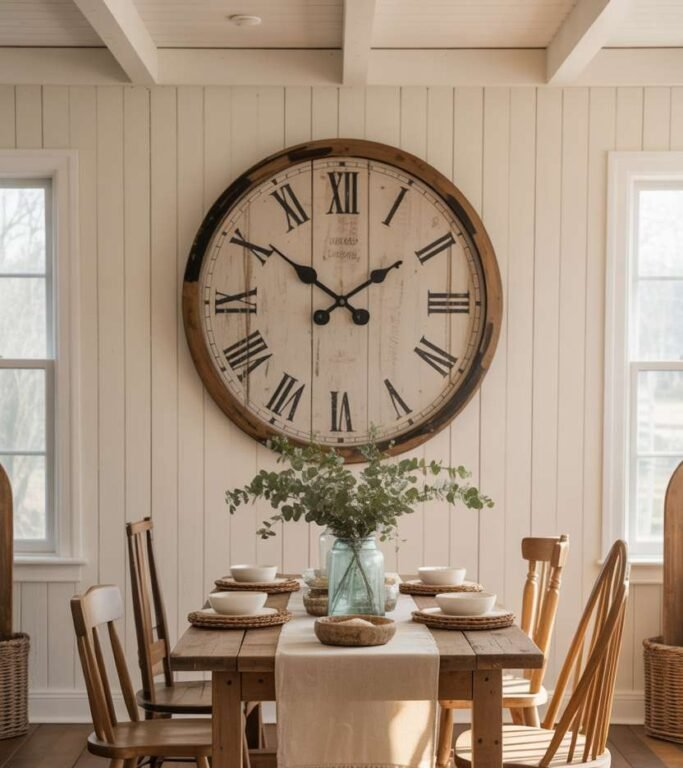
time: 1:50
